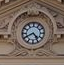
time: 4:40
